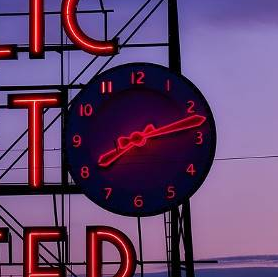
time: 8:13
